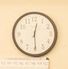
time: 12:29
